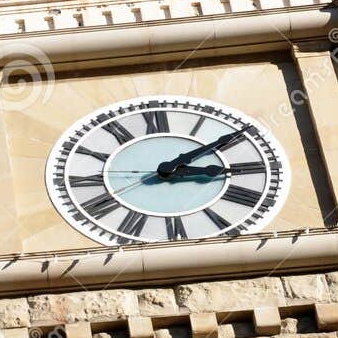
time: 3:09
